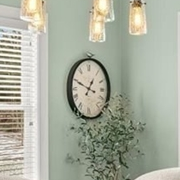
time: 12:48
